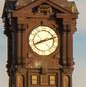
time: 8:12
